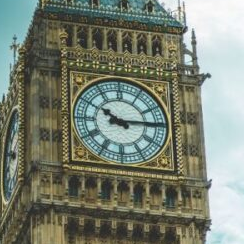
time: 10:14
